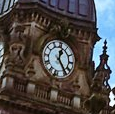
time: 12:23
